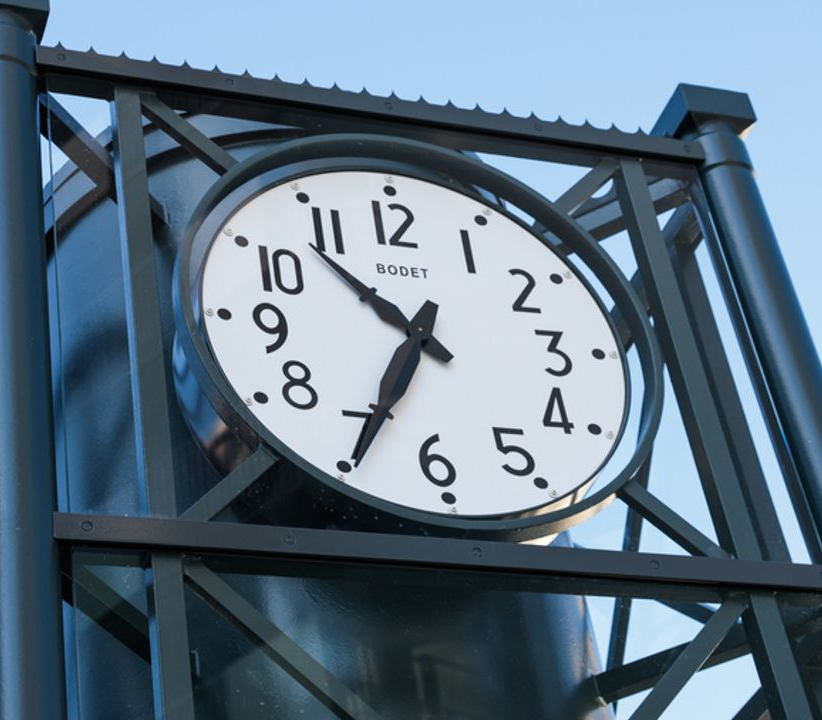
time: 10:34
